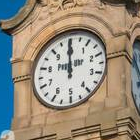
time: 11:59
